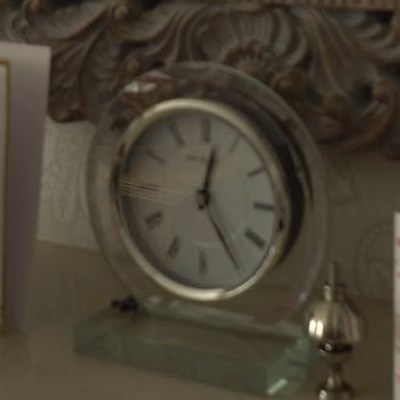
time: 12:24
